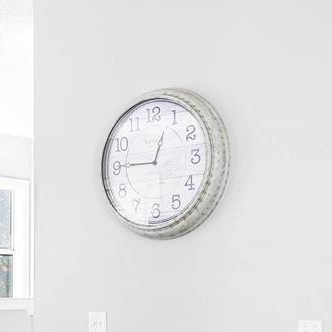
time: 12:45
